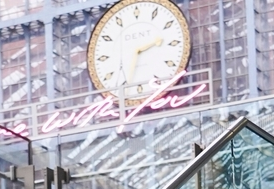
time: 2:33
